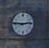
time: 2:46
